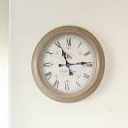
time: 11:13
